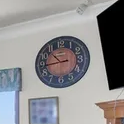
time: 10:44
